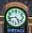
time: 4:42
